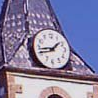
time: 1:43
